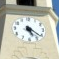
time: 5:21
